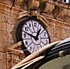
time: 12:47
